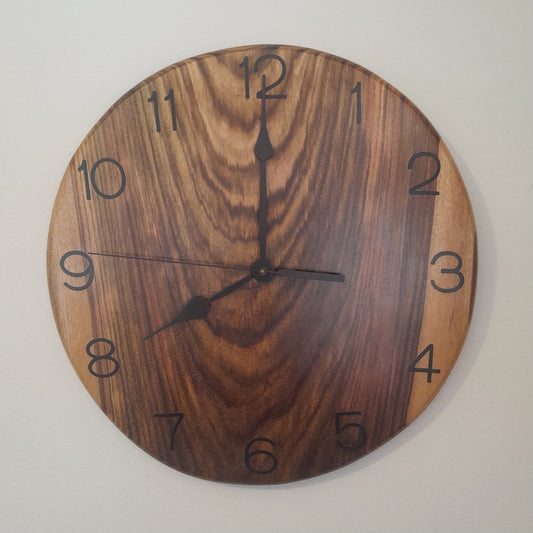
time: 8:00
